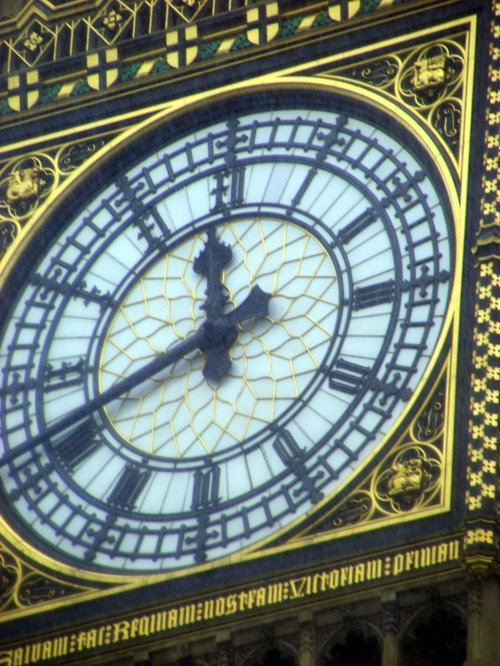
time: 11:41
